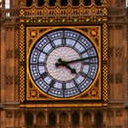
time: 4:12
